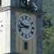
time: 9:43
